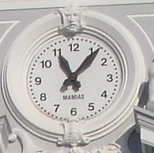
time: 11:06
